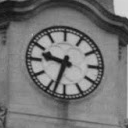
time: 9:33
